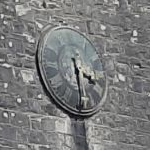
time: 3:29
